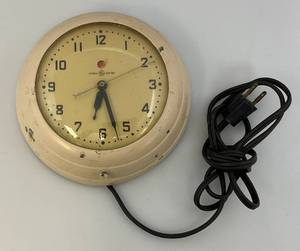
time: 6:27
